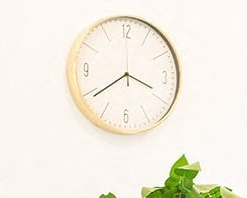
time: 3:39
